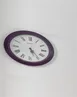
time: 5:23
